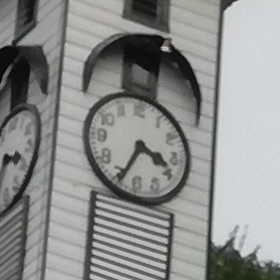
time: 3:34
